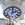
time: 2:00
